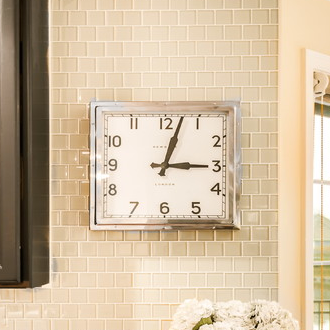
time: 3:02
